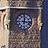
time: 12:16
